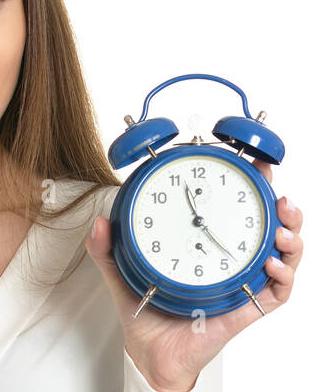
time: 11:22
